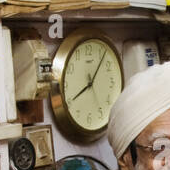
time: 8:06
